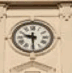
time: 9:29
